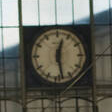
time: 12:28
